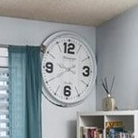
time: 9:40
